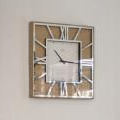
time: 10:15
